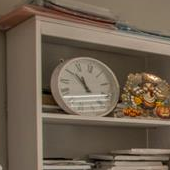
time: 10:51
